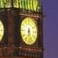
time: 6:27
